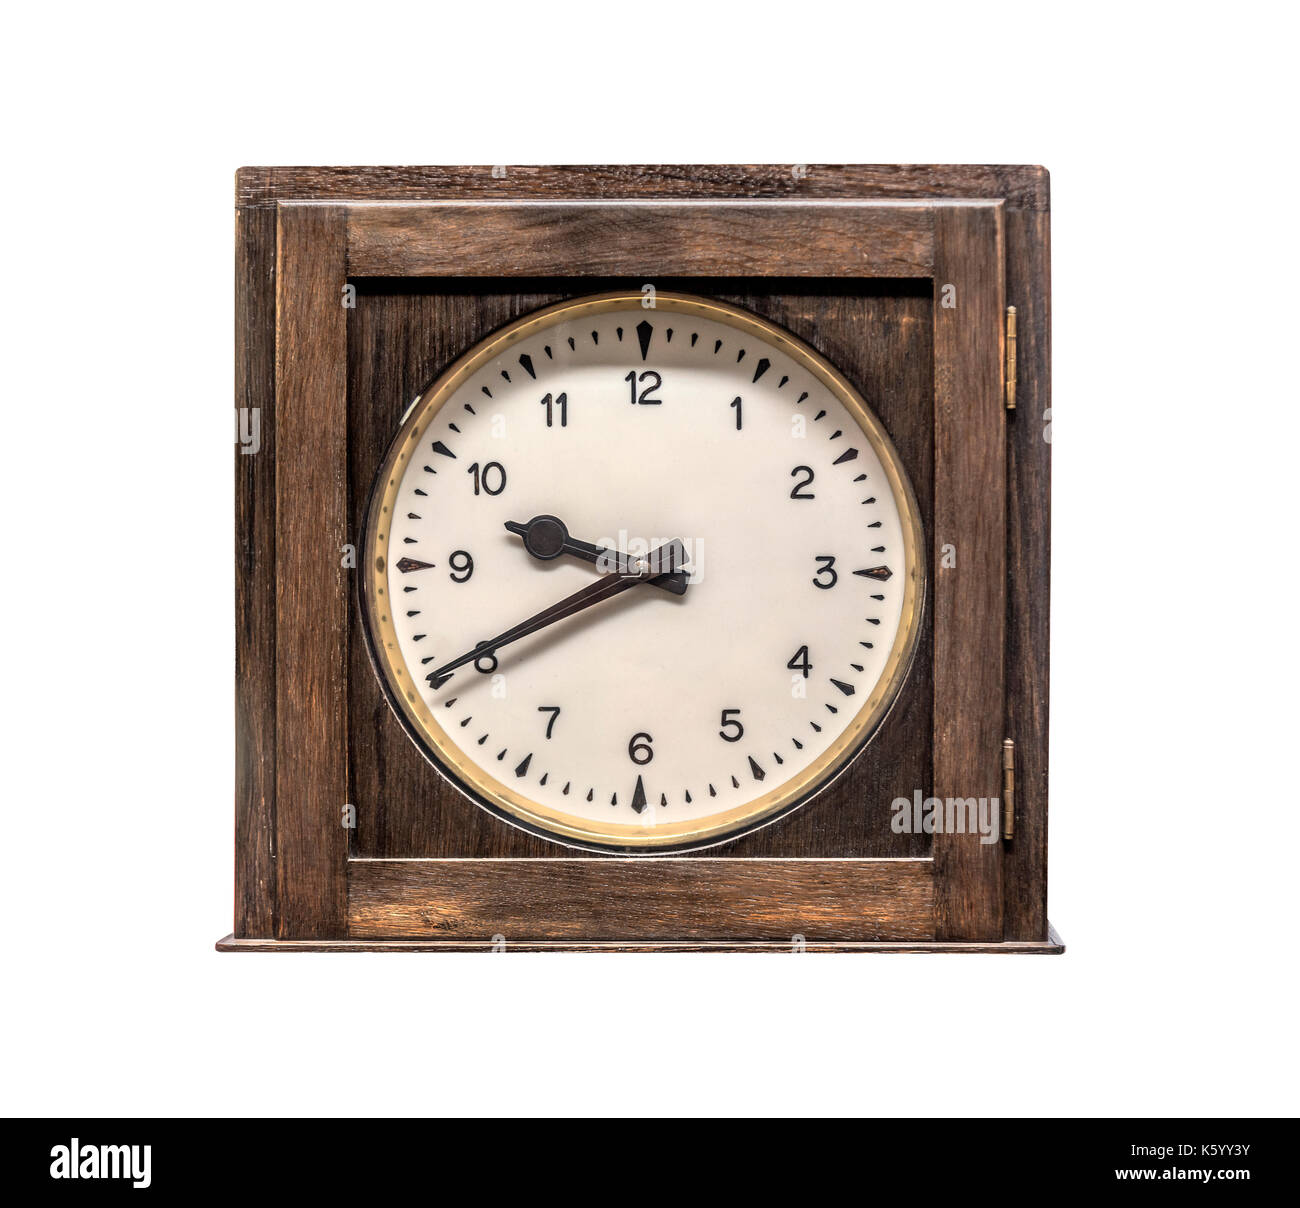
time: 9:40
